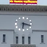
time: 6:17
